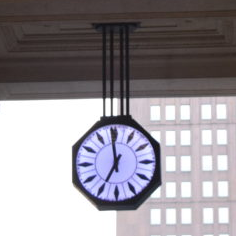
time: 6:58
